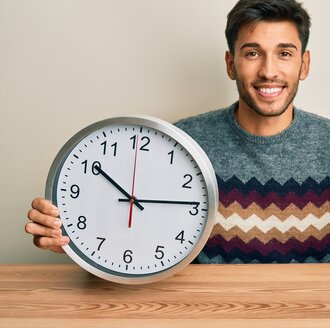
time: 10:13
